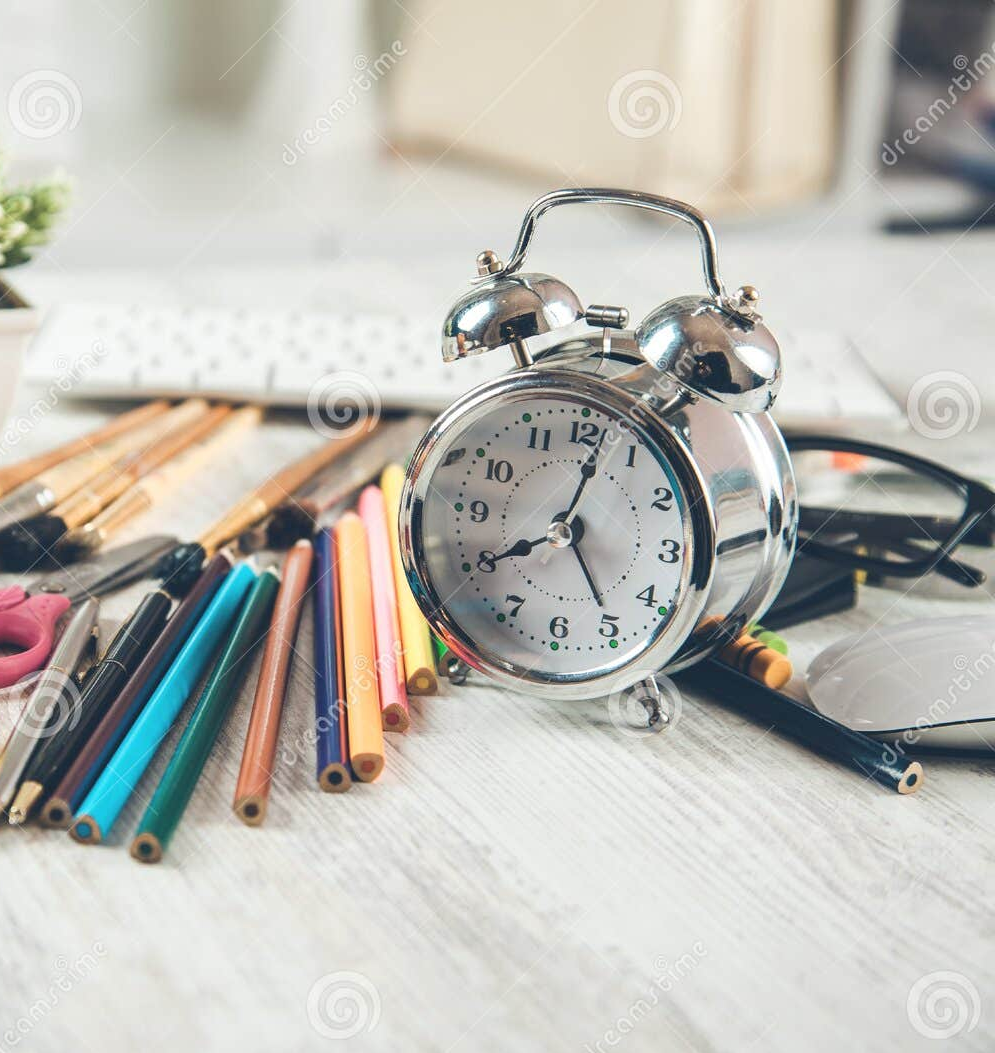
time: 8:01
